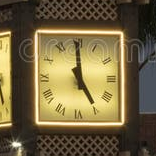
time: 4:59
